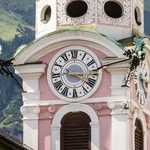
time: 3:21
